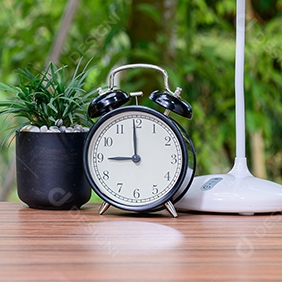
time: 8:59
